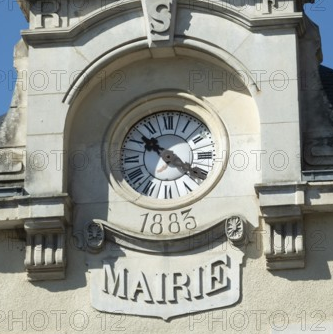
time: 10:20
